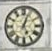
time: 5:03
